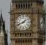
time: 1:41
